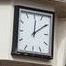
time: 12:09
